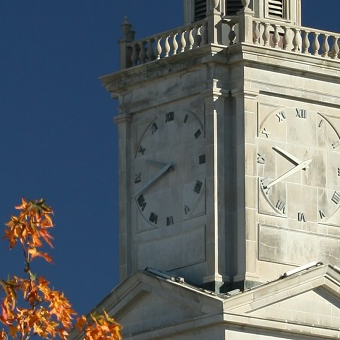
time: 9:42
